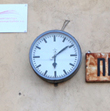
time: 6:09
